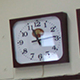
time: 11:56
